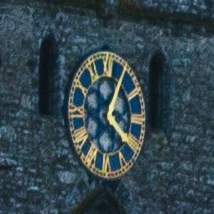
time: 4:04
